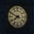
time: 7:49
